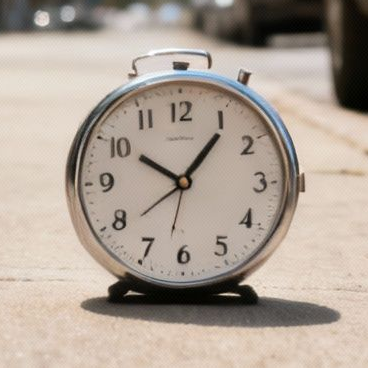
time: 10:06
